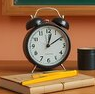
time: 12:09
